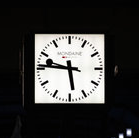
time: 5:46
